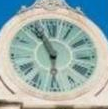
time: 5:55
